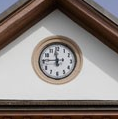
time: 11:45
